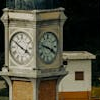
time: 3:47
